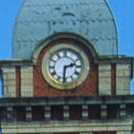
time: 2:31
